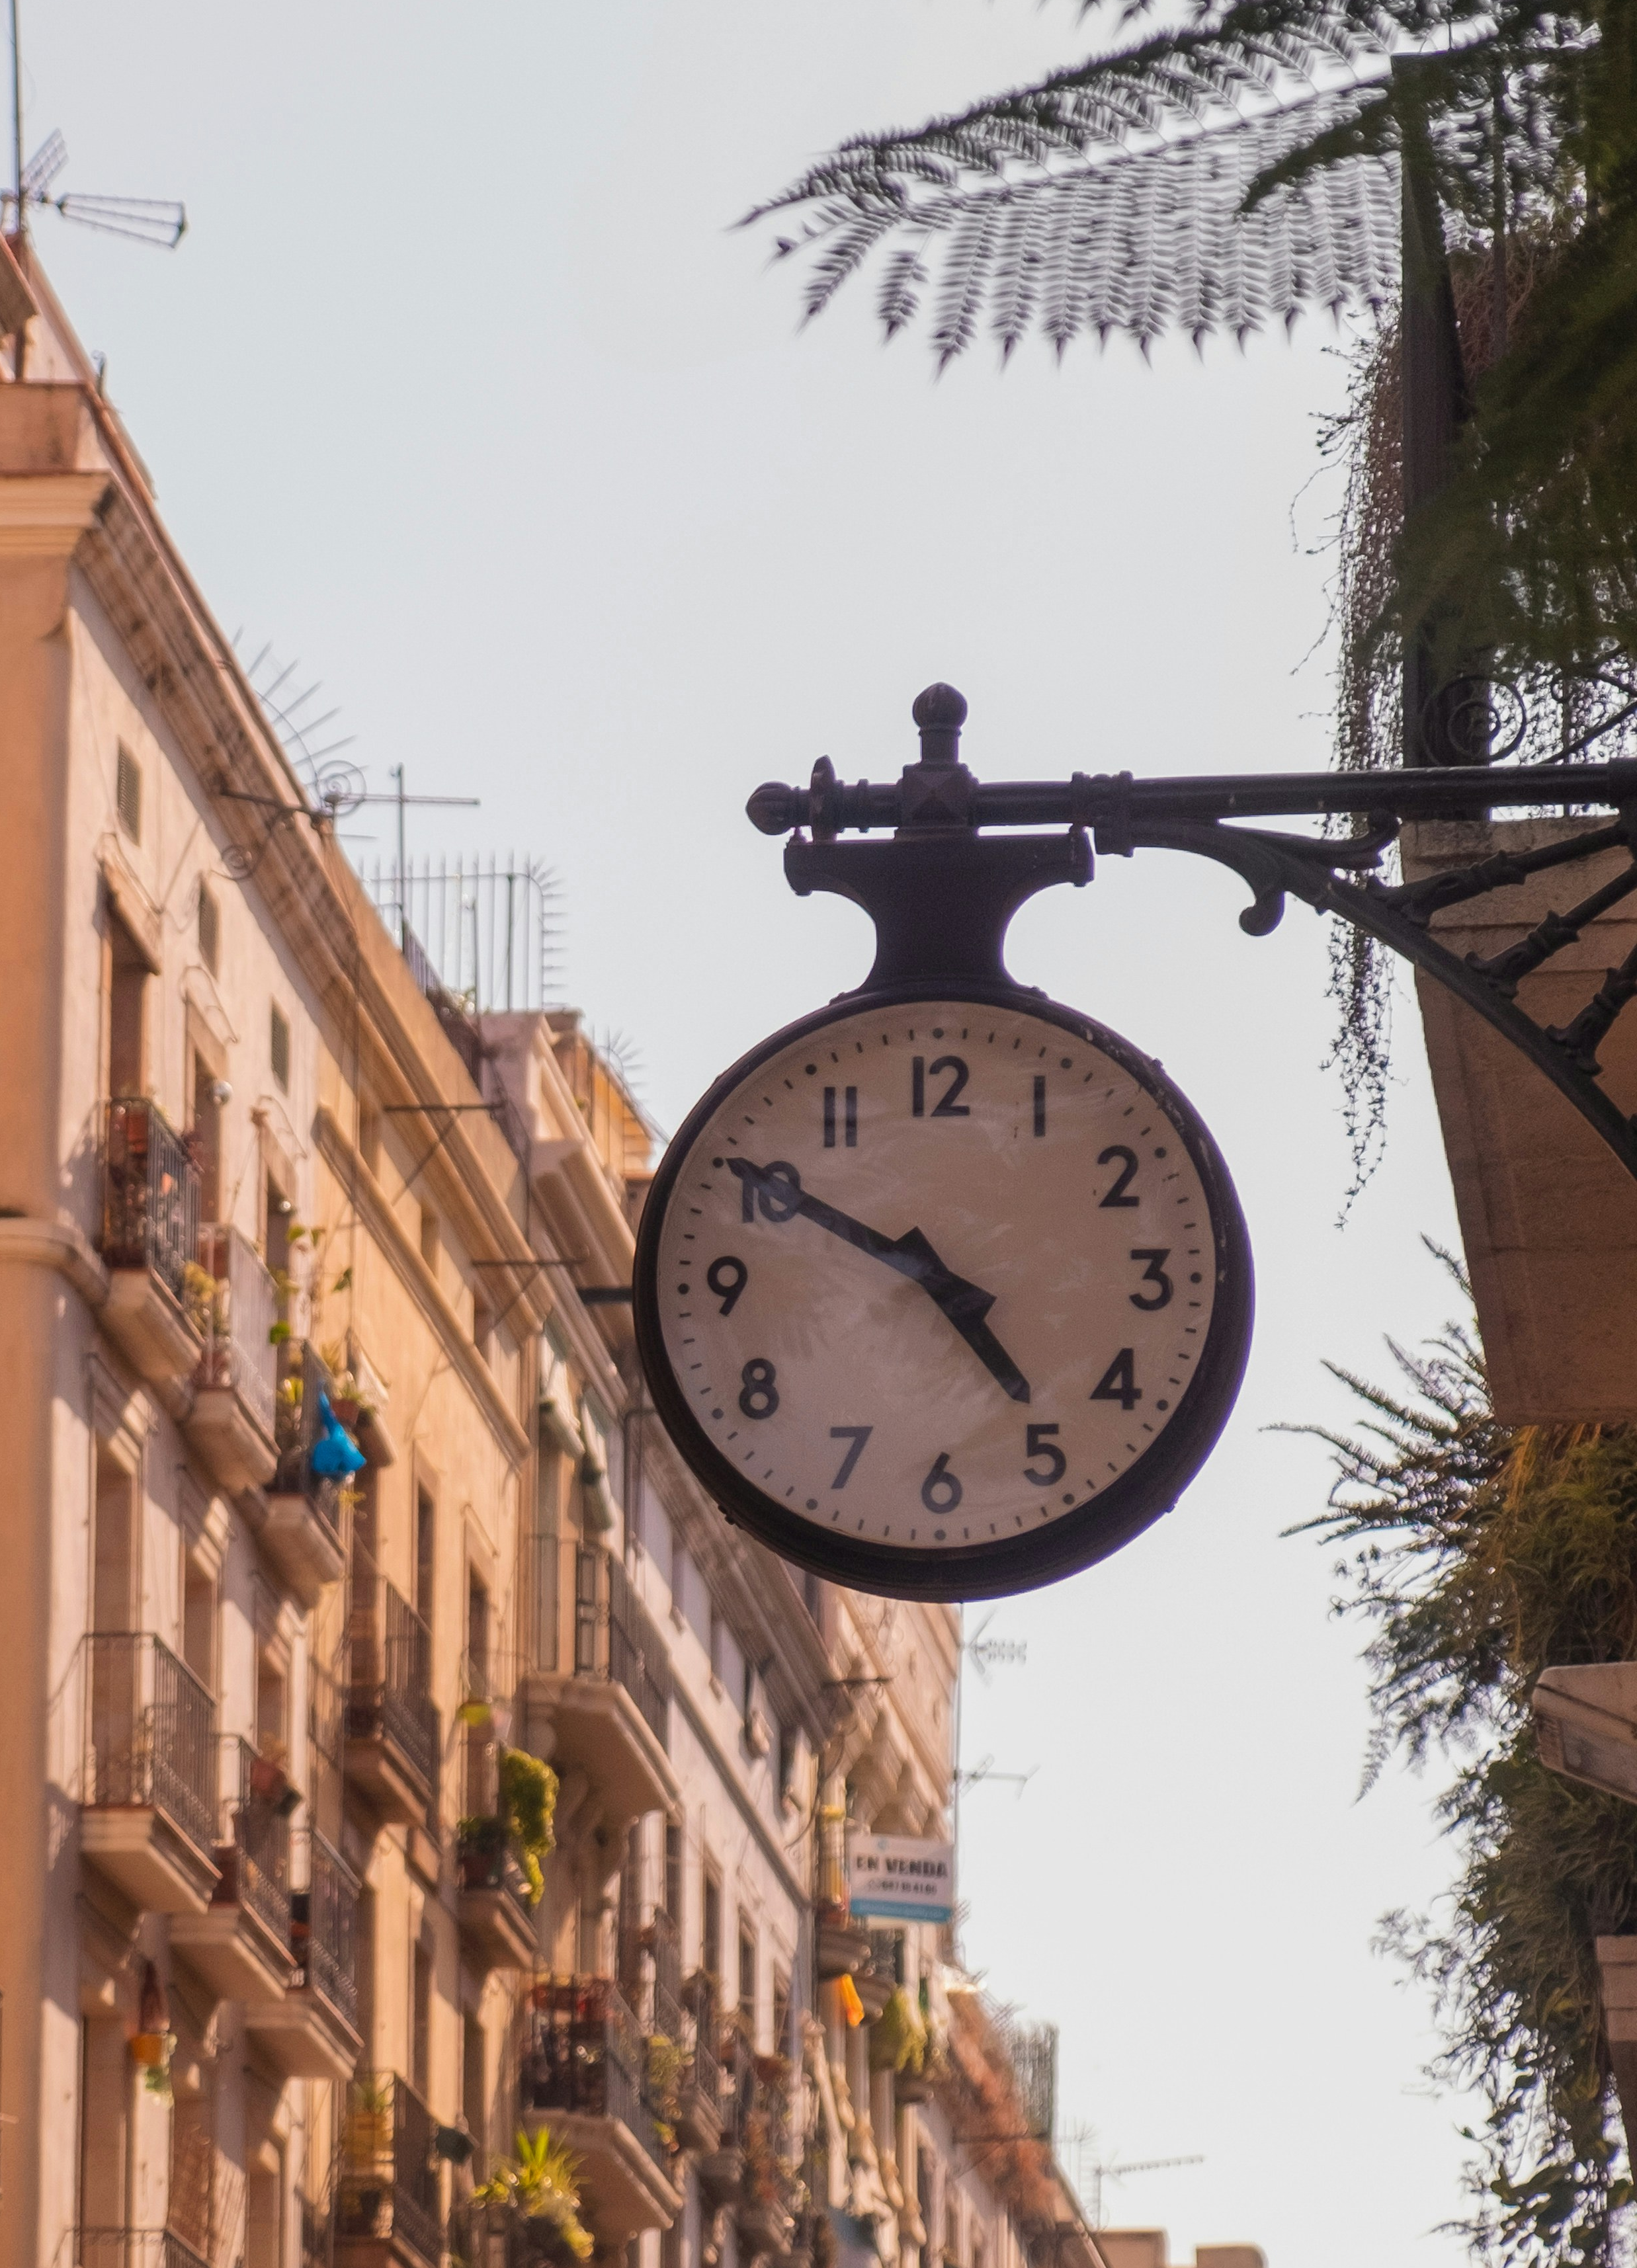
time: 4:50
